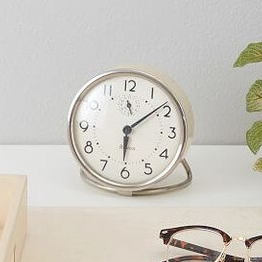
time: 6:08
